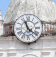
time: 11:21
